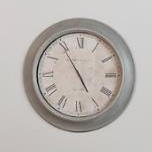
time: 4:54
